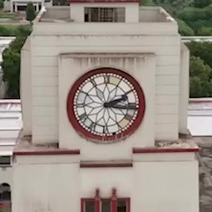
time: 2:15
